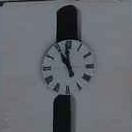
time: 10:58
